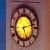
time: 5:12
